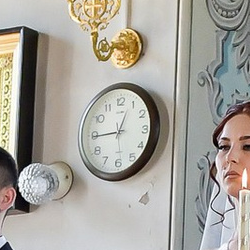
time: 12:44
